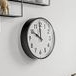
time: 9:59
